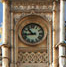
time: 10:43
